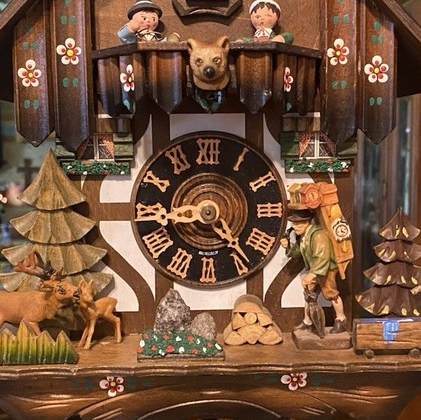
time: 4:44
